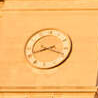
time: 3:42
